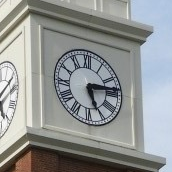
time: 5:13
